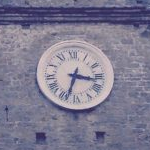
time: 3:33
